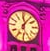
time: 6:06
